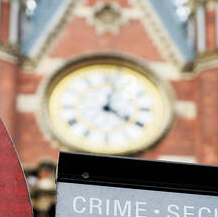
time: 4:02
